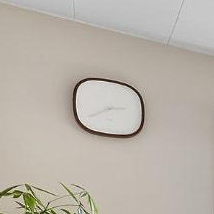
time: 2:40
